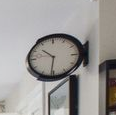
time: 10:31
